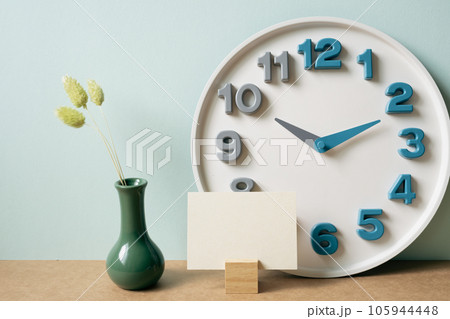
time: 10:11
